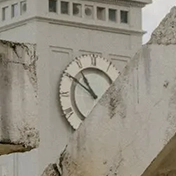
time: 10:50
